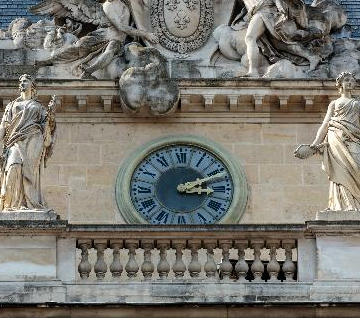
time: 3:10
